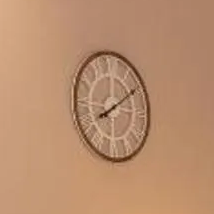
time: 8:09
